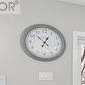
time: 12:52
